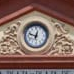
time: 12:48
